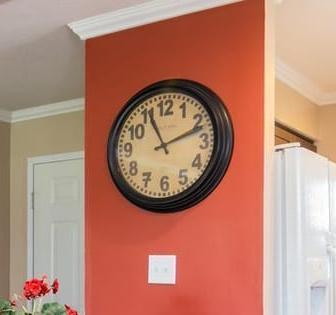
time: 11:11
